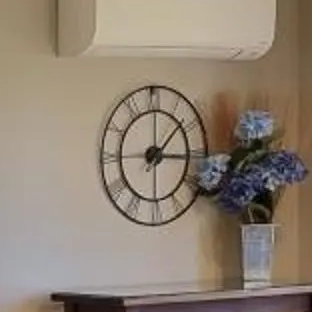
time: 1:16
